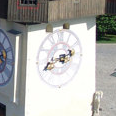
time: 2:40
